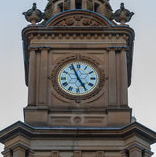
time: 4:56
